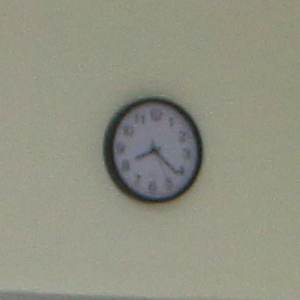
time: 8:21
